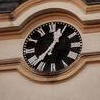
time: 12:37
